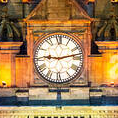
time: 9:12
